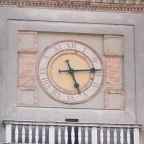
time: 5:14
